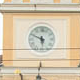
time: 5:49
